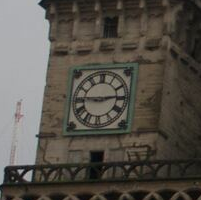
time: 2:45
